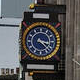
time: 3:22
